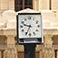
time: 9:34
